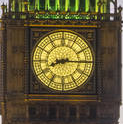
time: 8:15
